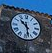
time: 10:28
